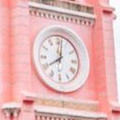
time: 8:01
